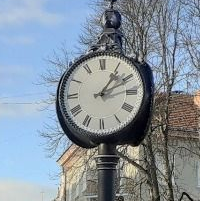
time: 1:10
